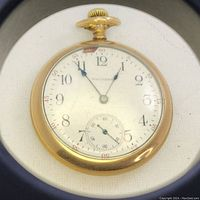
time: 12:54
